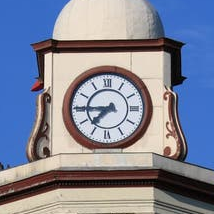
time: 7:44
